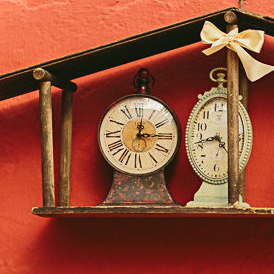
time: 12:14
